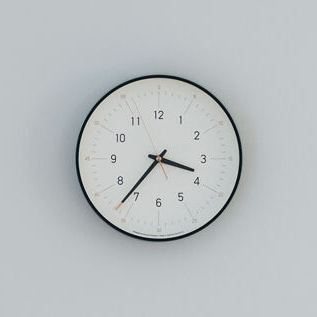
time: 3:36
